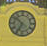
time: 6:51
